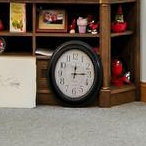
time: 12:14
